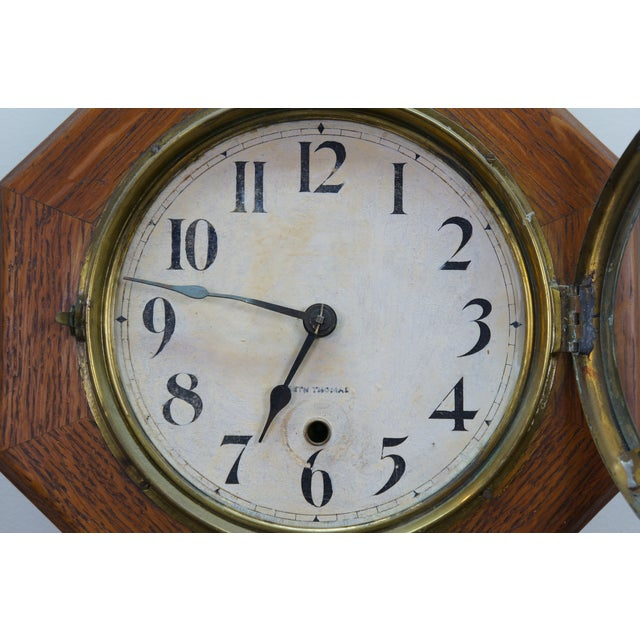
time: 6:47
